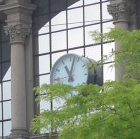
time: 11:02
